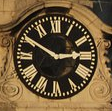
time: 2:50
